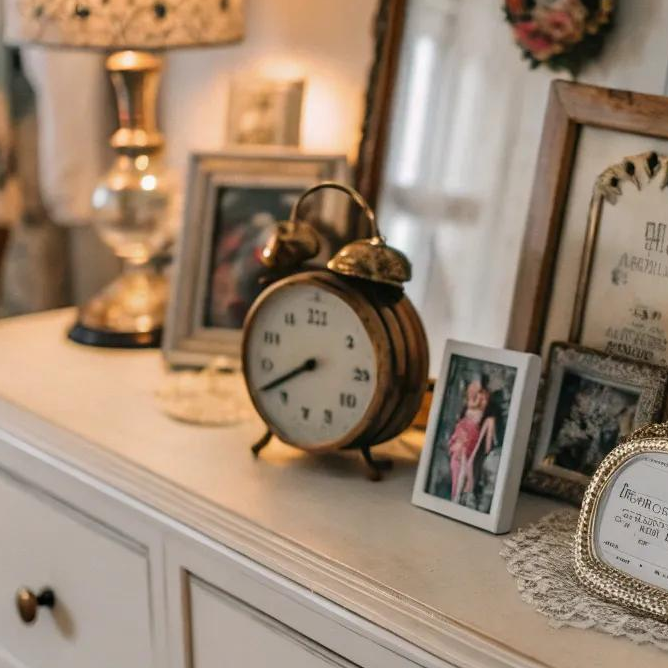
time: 7:40
